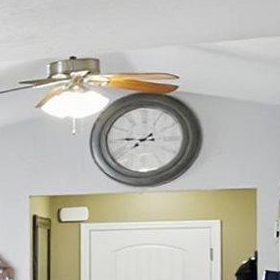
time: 7:44
